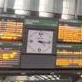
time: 4:16
